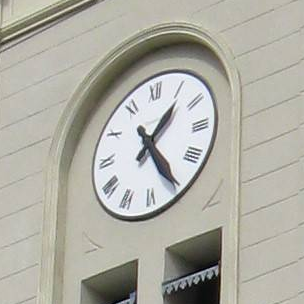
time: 1:24
